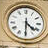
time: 4:30
